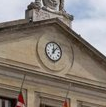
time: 12:07
